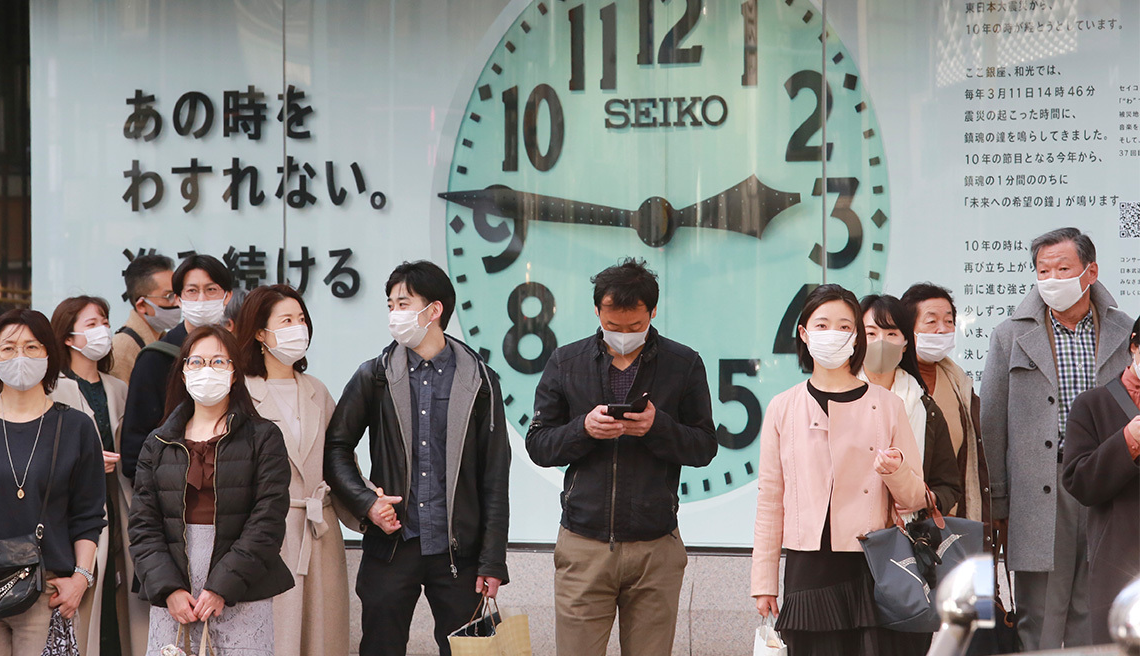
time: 2:46
